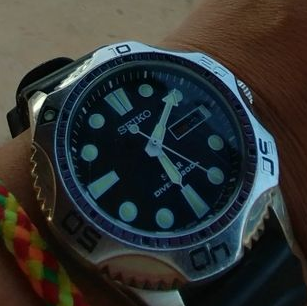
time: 5:04
